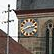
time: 8:12
